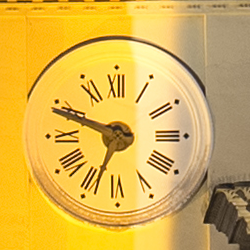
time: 6:48
